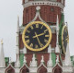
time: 2:26
